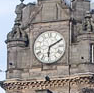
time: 6:10
